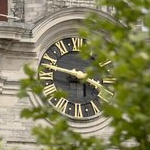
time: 3:47
